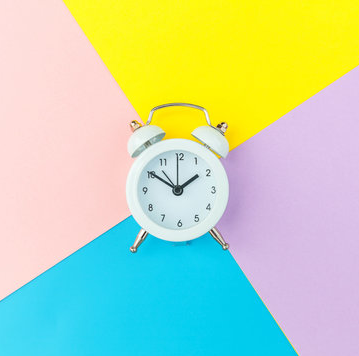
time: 1:50
